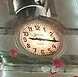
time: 9:15
